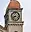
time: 8:38
